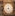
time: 4:42
